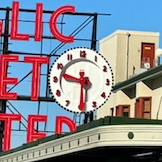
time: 9:30
